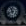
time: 11:42
